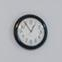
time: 12:54
